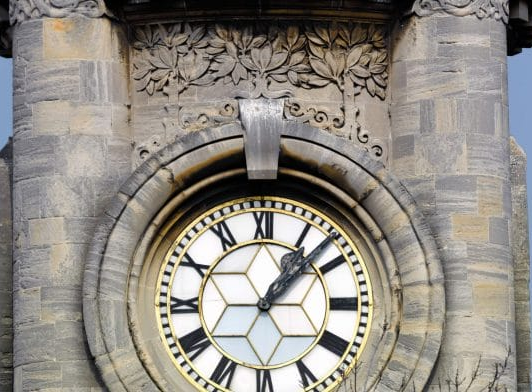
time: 1:07
